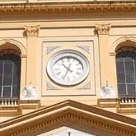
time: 4:33
